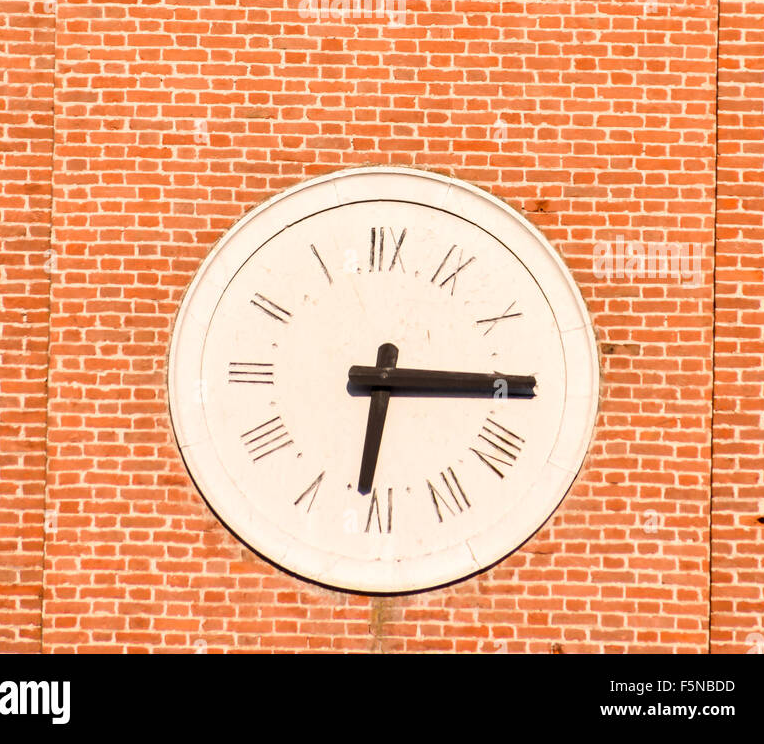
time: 6:15
